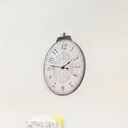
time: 1:46
